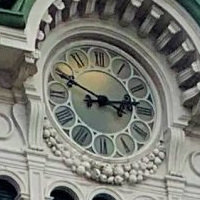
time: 2:49
